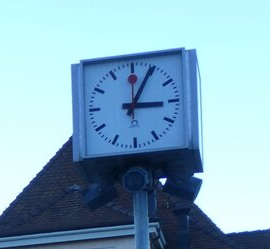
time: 3:04
